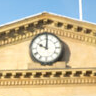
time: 10:00
